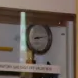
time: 8:12
